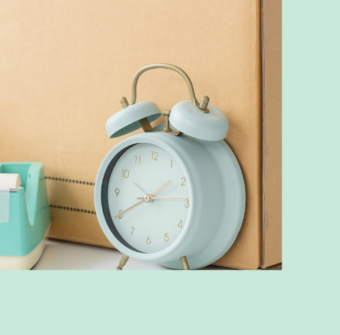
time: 1:40
